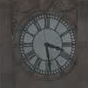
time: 3:29
